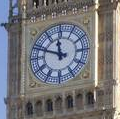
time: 11:48
